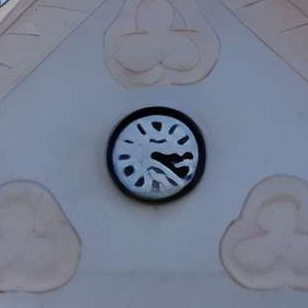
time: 3:22
